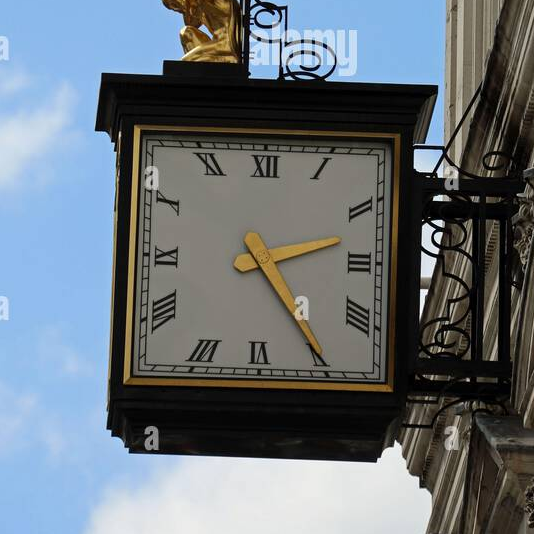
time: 2:24
